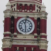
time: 11:29
